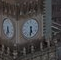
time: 5:31
